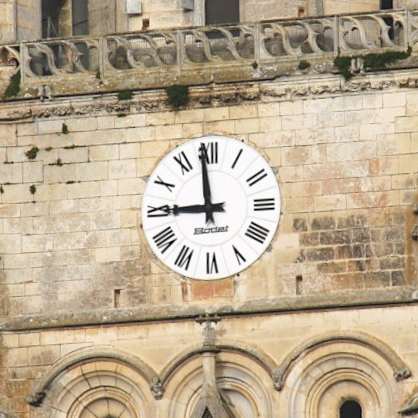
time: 8:58
